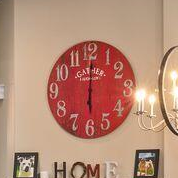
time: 6:00
